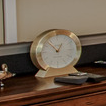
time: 12:53
